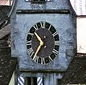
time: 10:35
